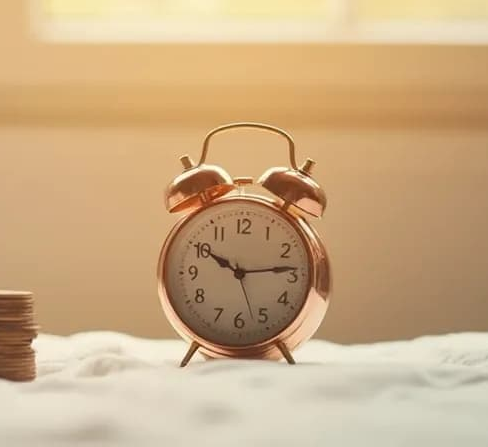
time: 10:13
